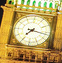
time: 7:16
